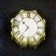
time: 10:36
